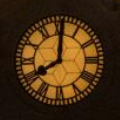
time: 8:00
